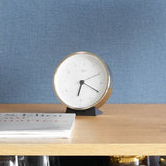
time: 6:19
